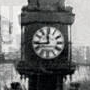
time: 11:43
